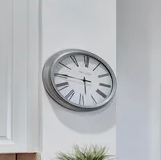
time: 5:45
